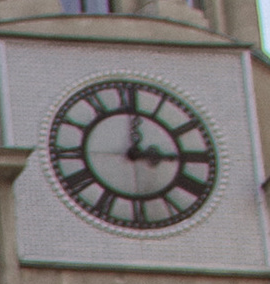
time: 3:01
